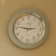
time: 2:46
